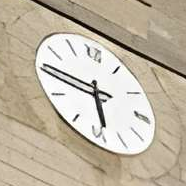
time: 5:45
